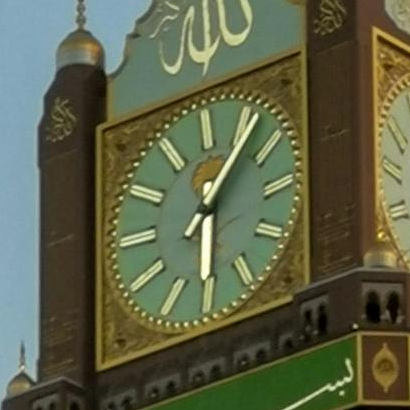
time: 6:06
